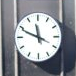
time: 11:48
